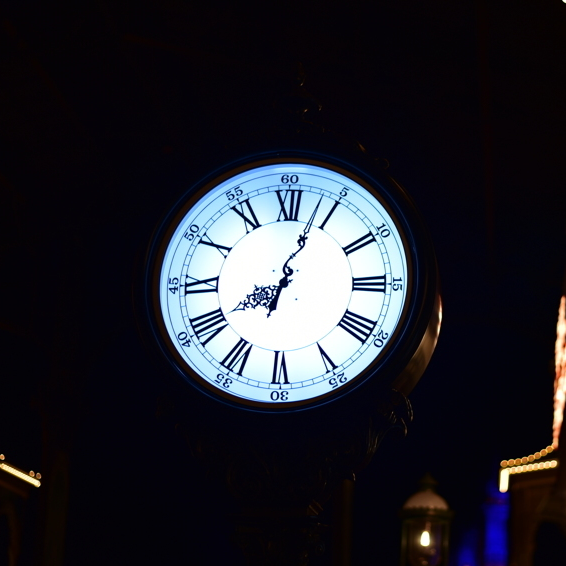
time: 8:03
